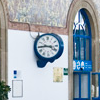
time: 3:44
